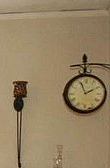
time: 1:56
